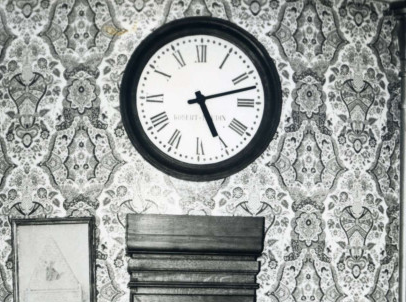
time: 5:12
